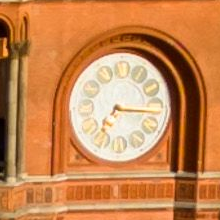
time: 7:15
